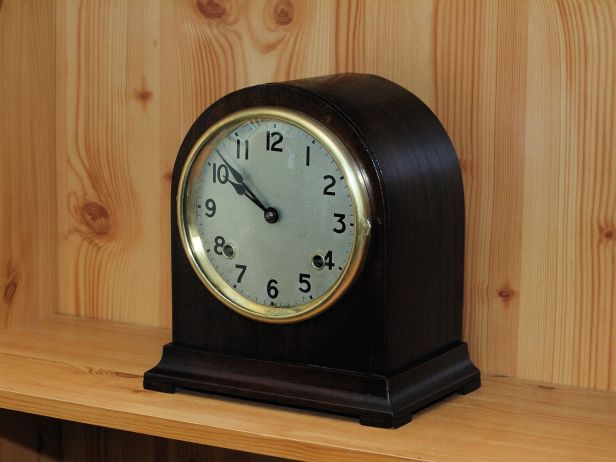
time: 9:51
